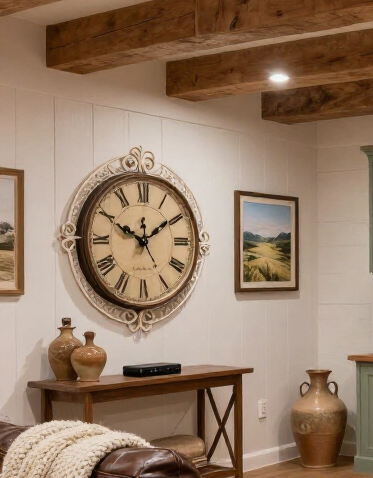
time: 10:09
